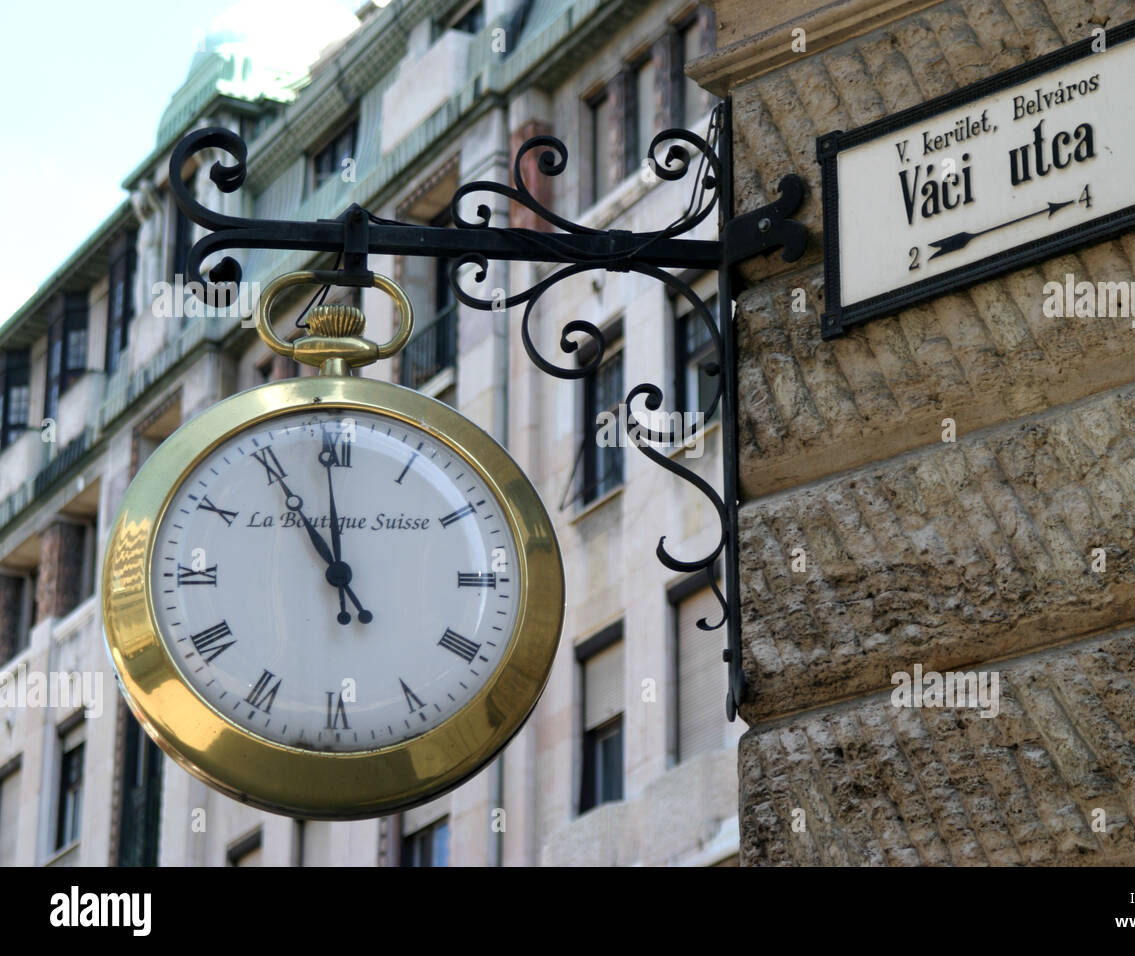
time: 10:59
